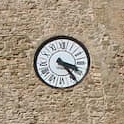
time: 3:23
